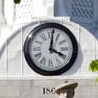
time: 4:01
